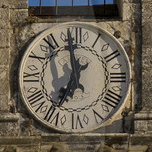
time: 6:58
